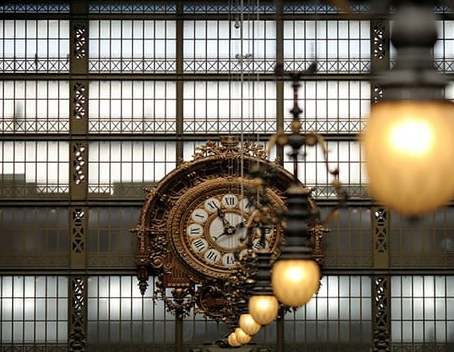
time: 1:56
